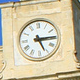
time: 5:14
